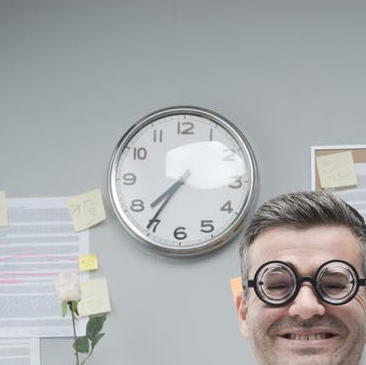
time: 7:35
